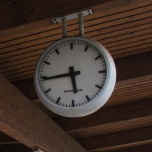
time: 5:44
